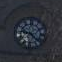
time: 9:22
